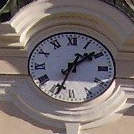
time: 1:33
